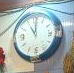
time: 11:00
